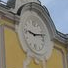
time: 9:13
